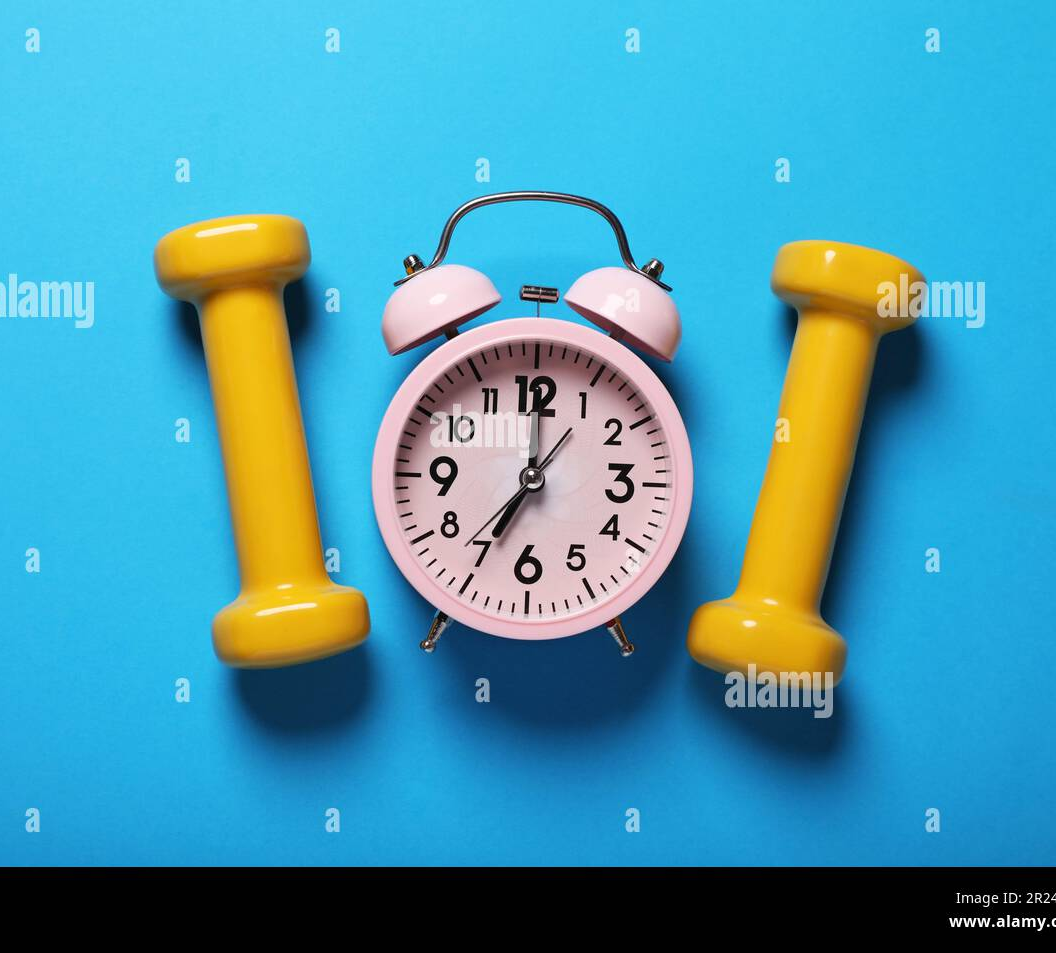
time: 7:00
